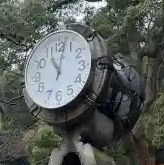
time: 11:02
